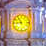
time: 8:54
